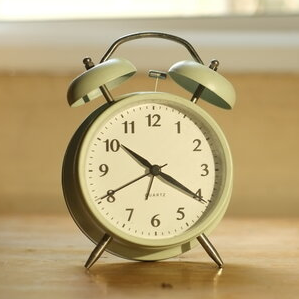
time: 10:20
